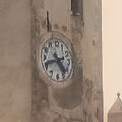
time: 4:42
